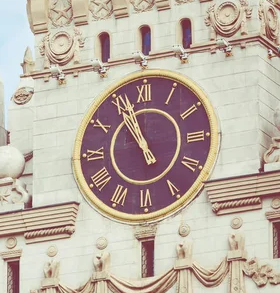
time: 10:56
